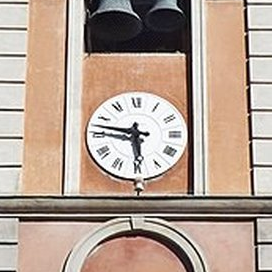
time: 5:46
